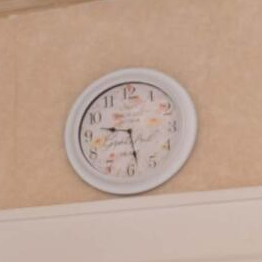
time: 9:28
